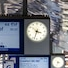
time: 3:33
